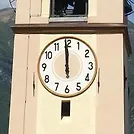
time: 11:59
